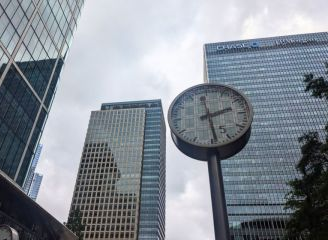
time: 2:28
